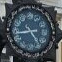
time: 4:43
